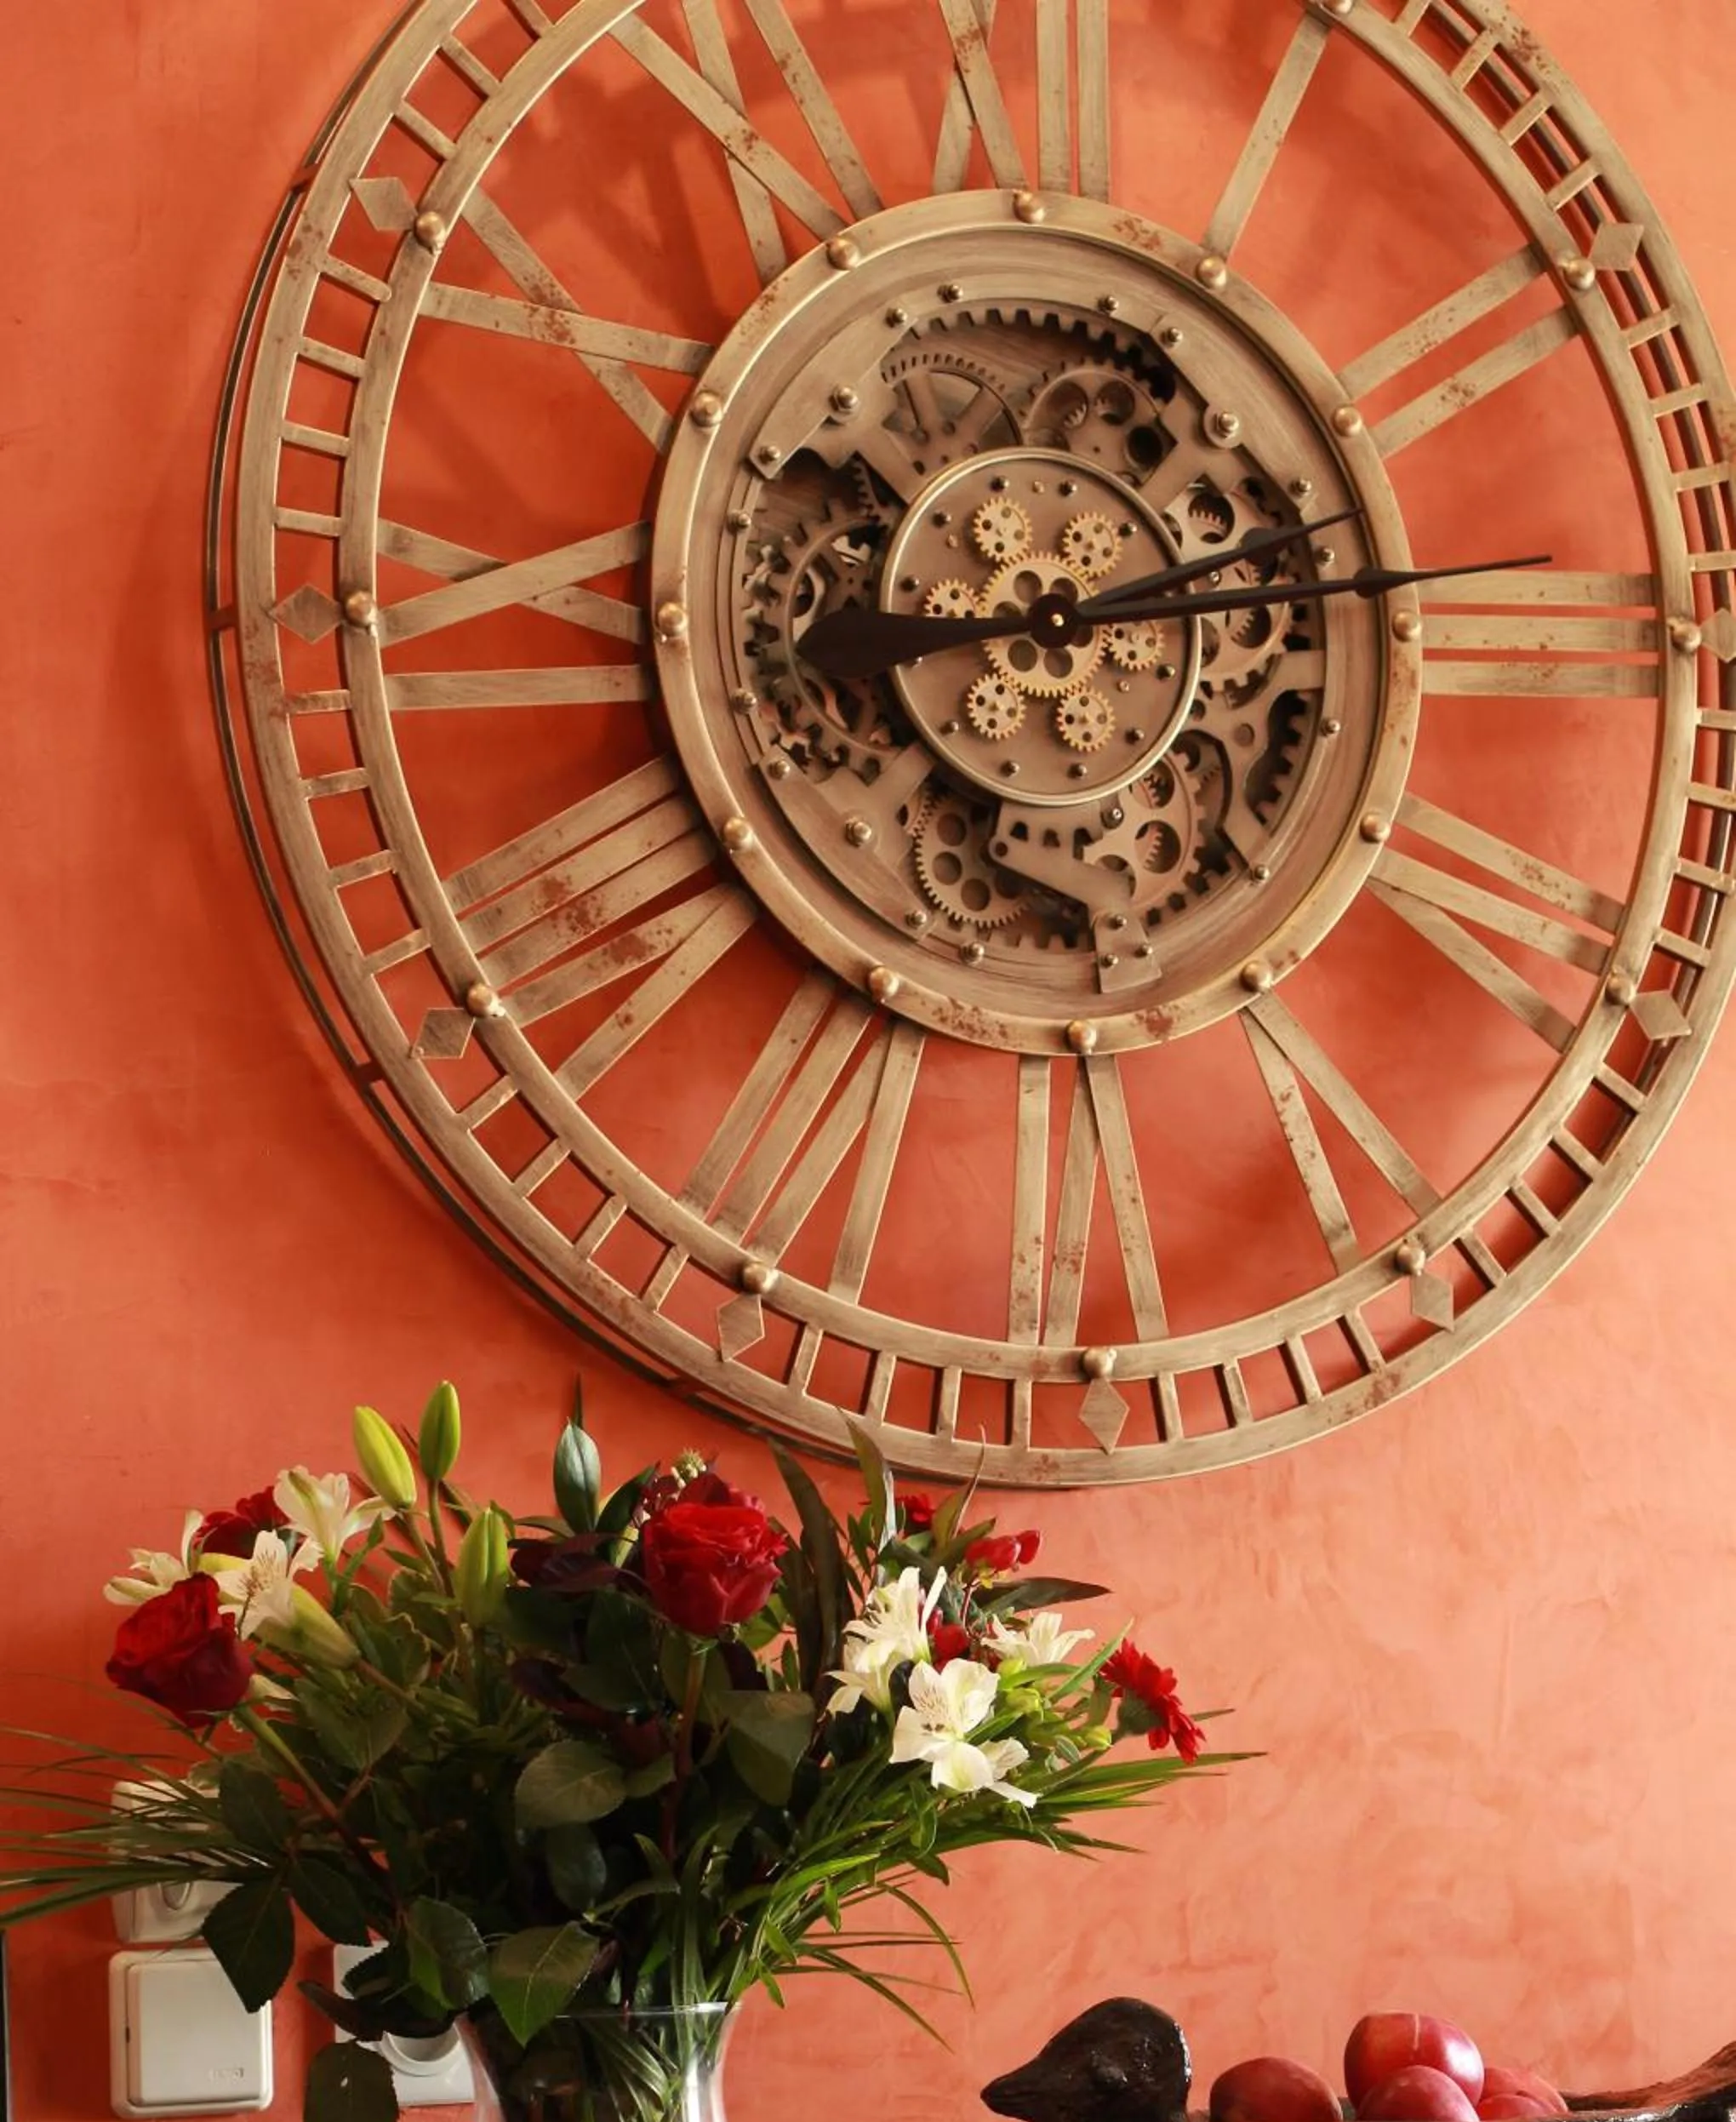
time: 9:12
